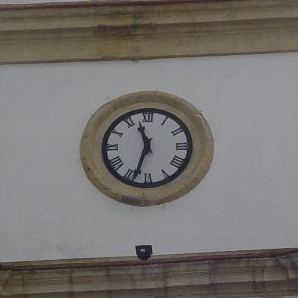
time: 11:33
